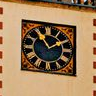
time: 1:54
